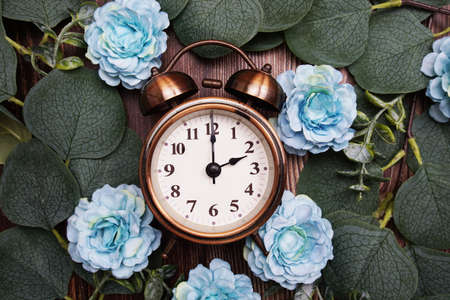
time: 2:00
